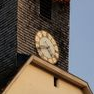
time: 4:42
